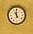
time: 10:59
